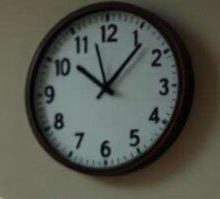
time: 10:06
